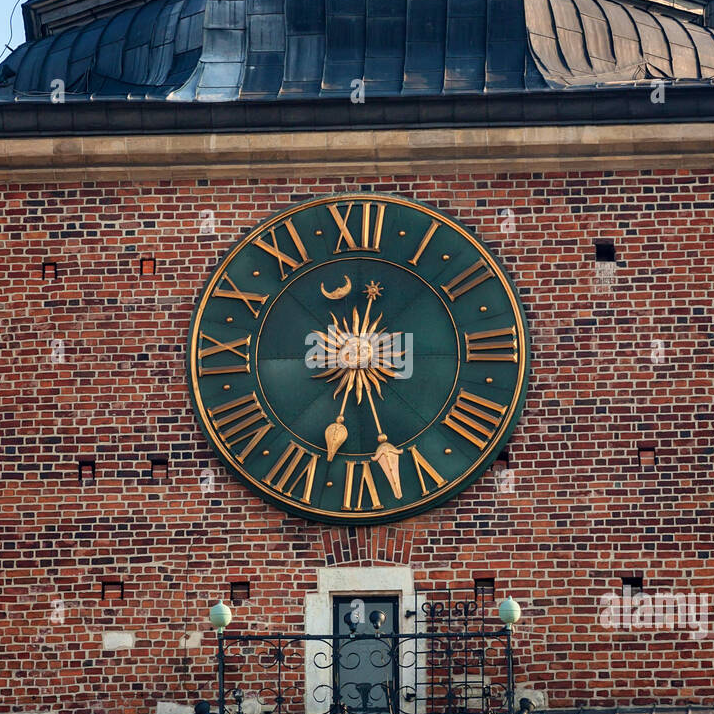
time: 6:27
